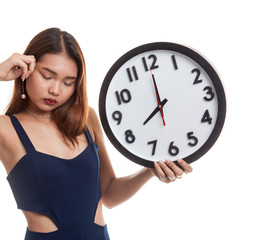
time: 7:59
